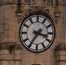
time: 3:35
